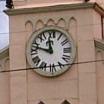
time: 11:47
